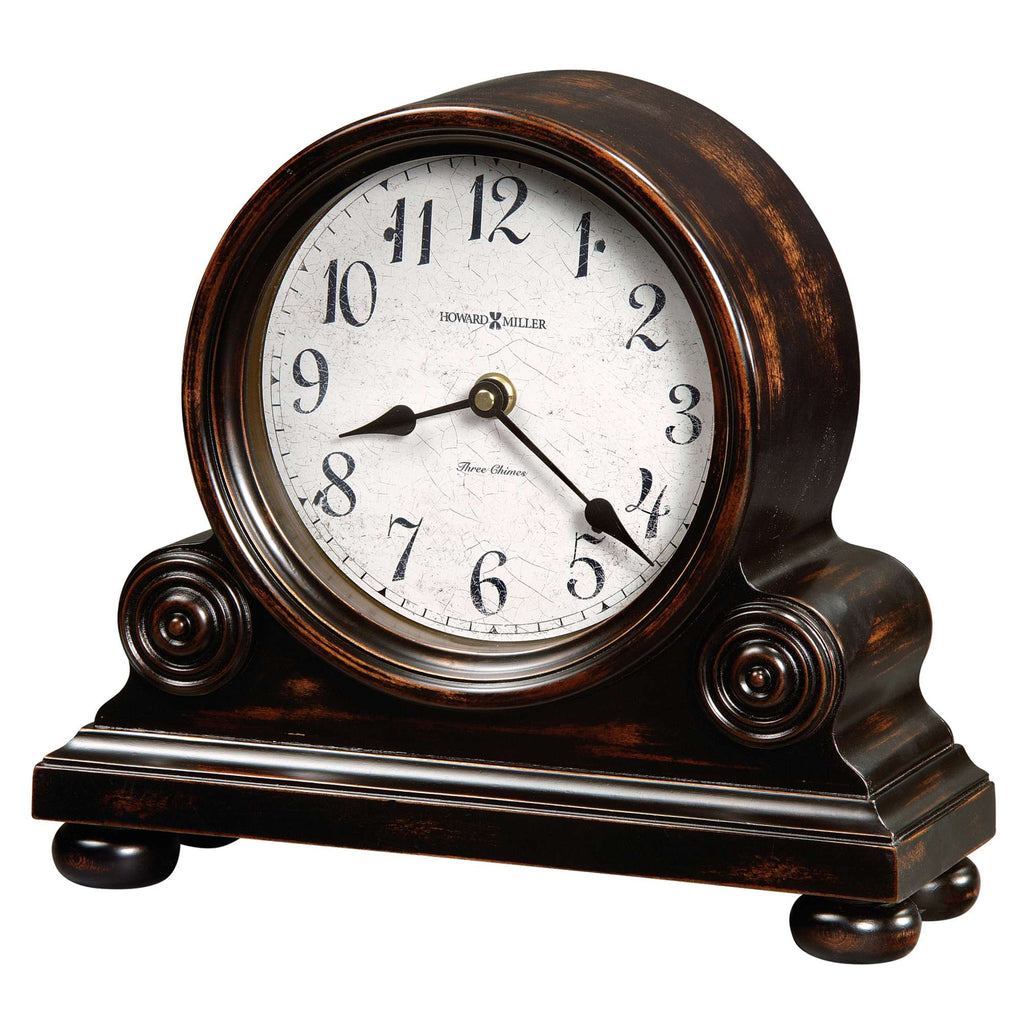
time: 8:21
